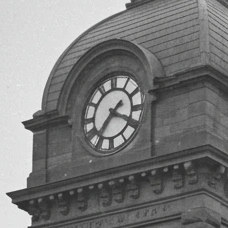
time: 7:18
